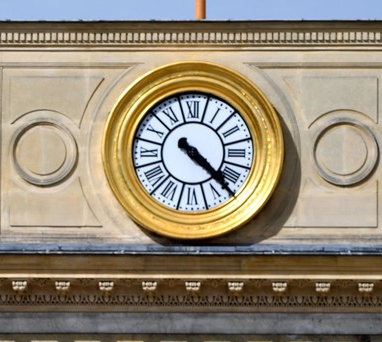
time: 4:22
